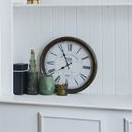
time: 7:55
